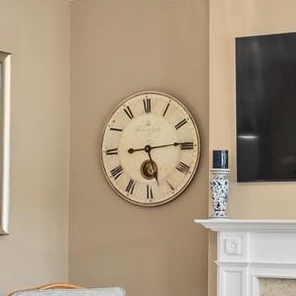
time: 5:14
